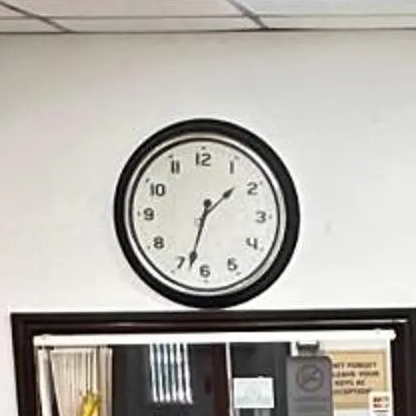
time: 1:32
